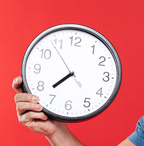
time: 7:37
